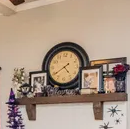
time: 4:39
